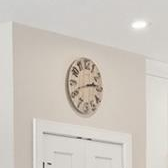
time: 2:42
